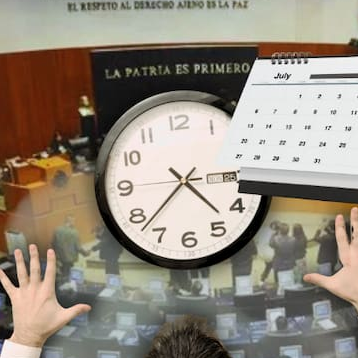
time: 4:37
